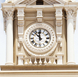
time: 11:52
